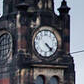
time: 4:22
